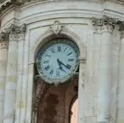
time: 5:20
